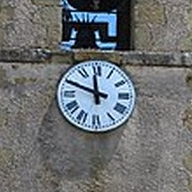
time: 11:48
